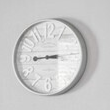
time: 8:44
